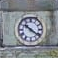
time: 10:21
